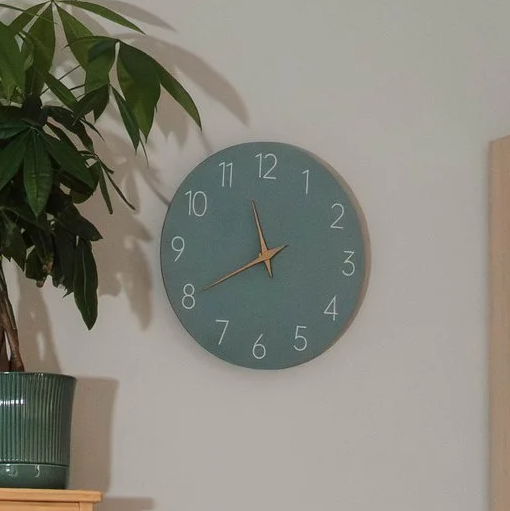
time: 11:40
